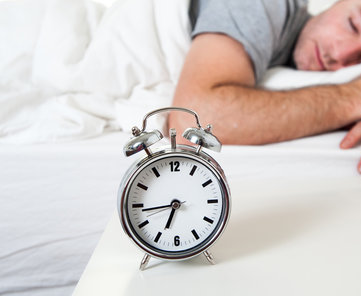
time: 6:43
